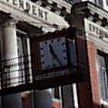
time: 11:24
